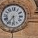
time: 5:35
